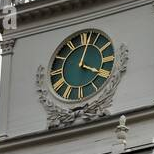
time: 4:02
